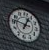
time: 12:46
